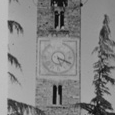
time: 5:18
